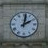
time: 2:01
